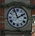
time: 1:56
